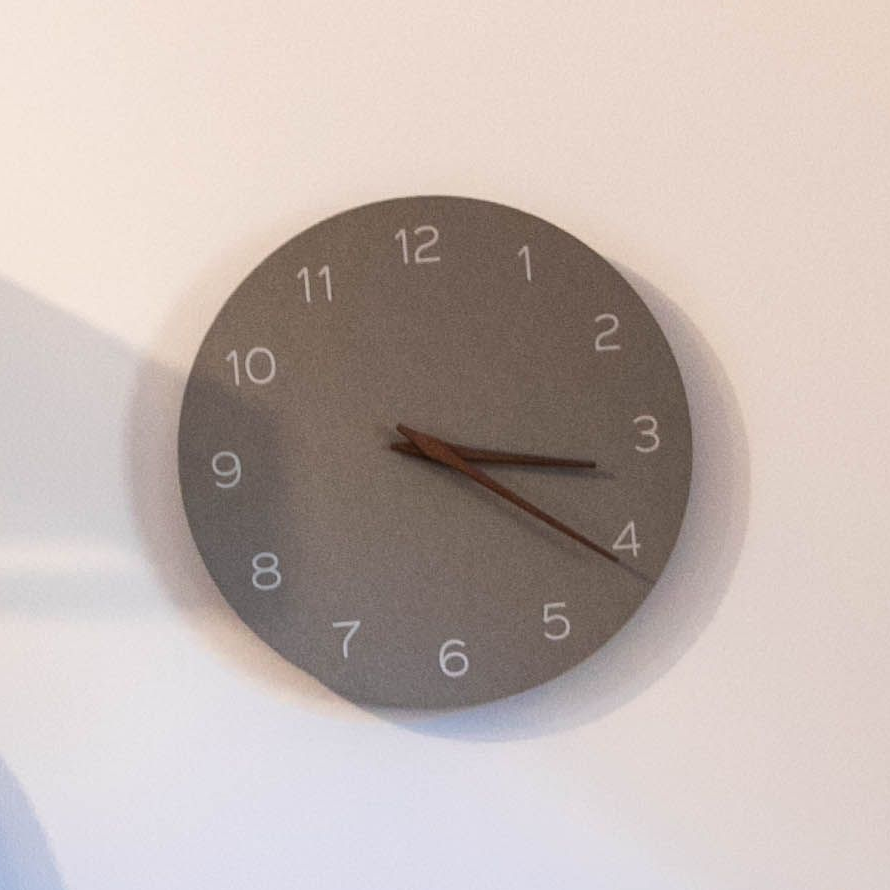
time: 3:20
